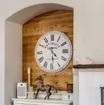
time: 4:29
